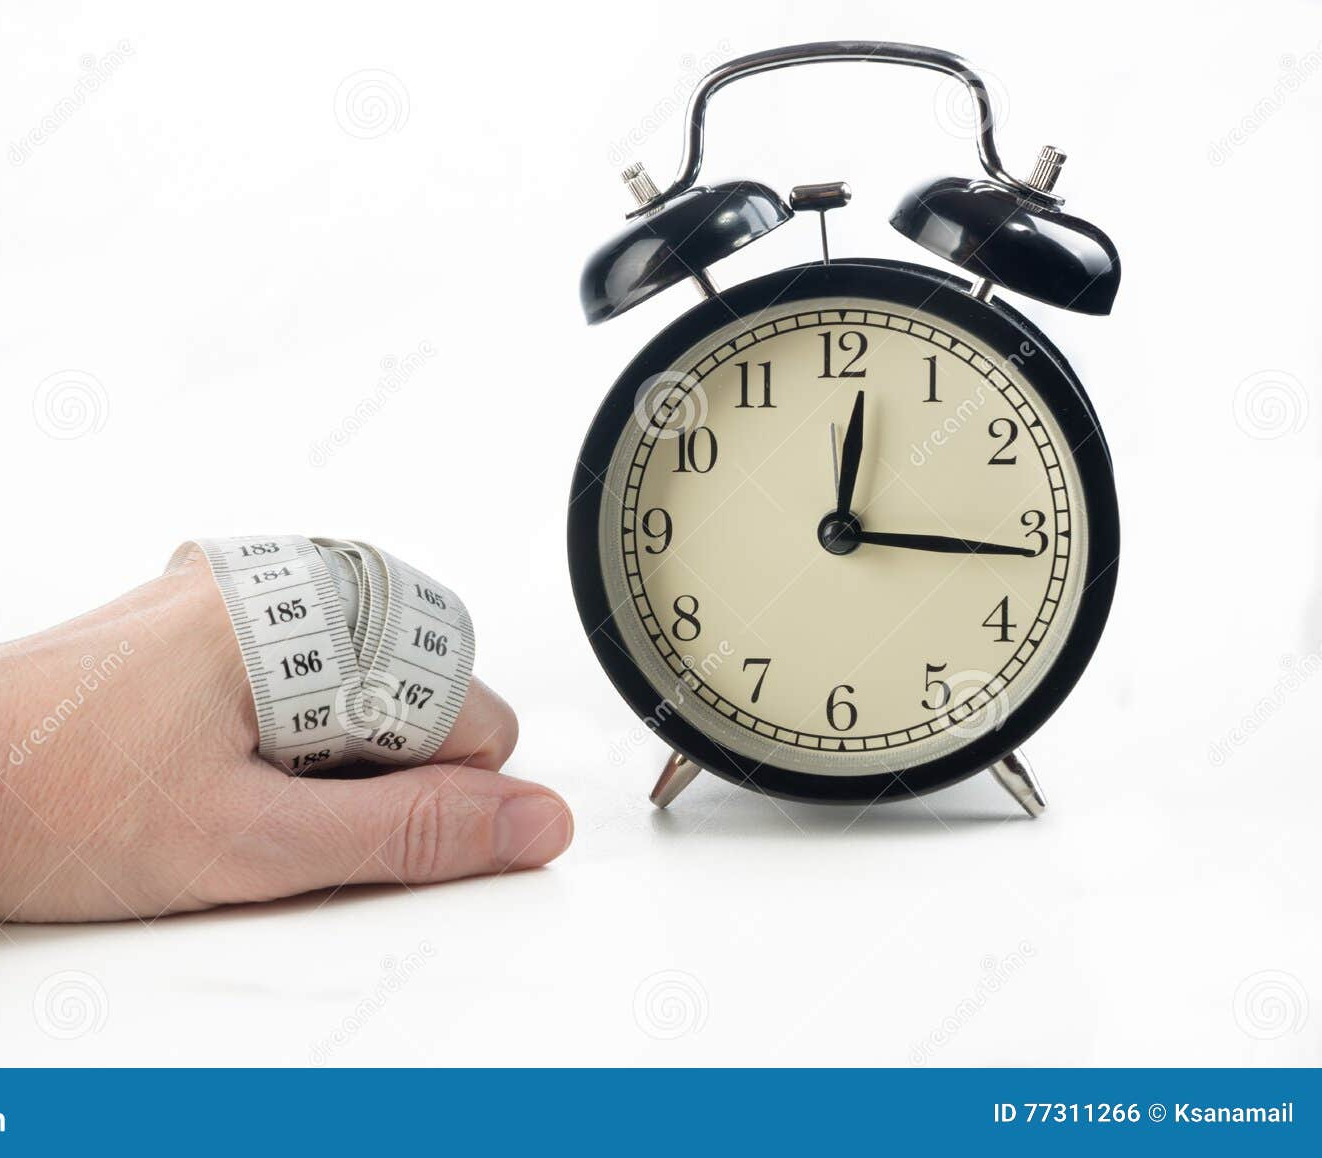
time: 12:15
